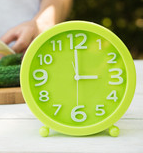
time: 2:59
